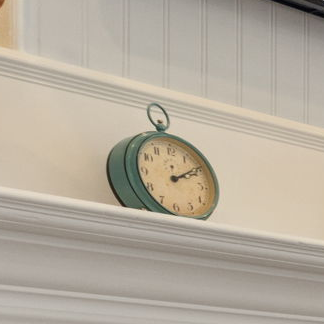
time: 2:09
